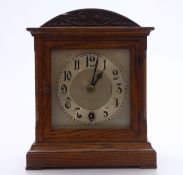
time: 1:02
